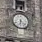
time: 6:21
